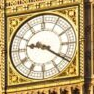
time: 9:20
